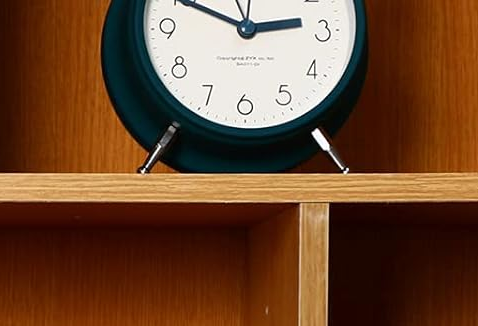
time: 2:49
